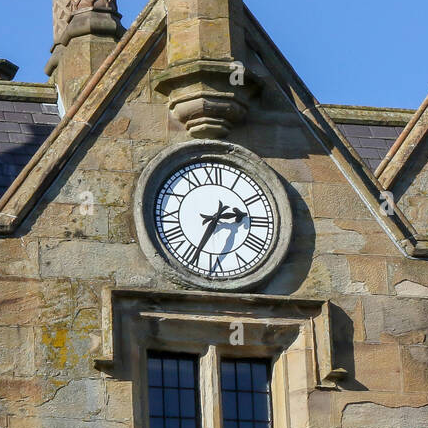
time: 2:34
